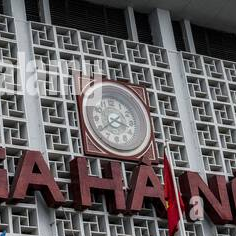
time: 3:38
